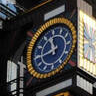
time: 11:43
